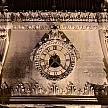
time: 7:22
